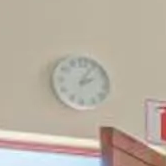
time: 2:04
